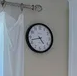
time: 4:42
